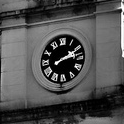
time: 2:12
